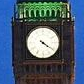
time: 4:20
